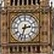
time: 2:32
